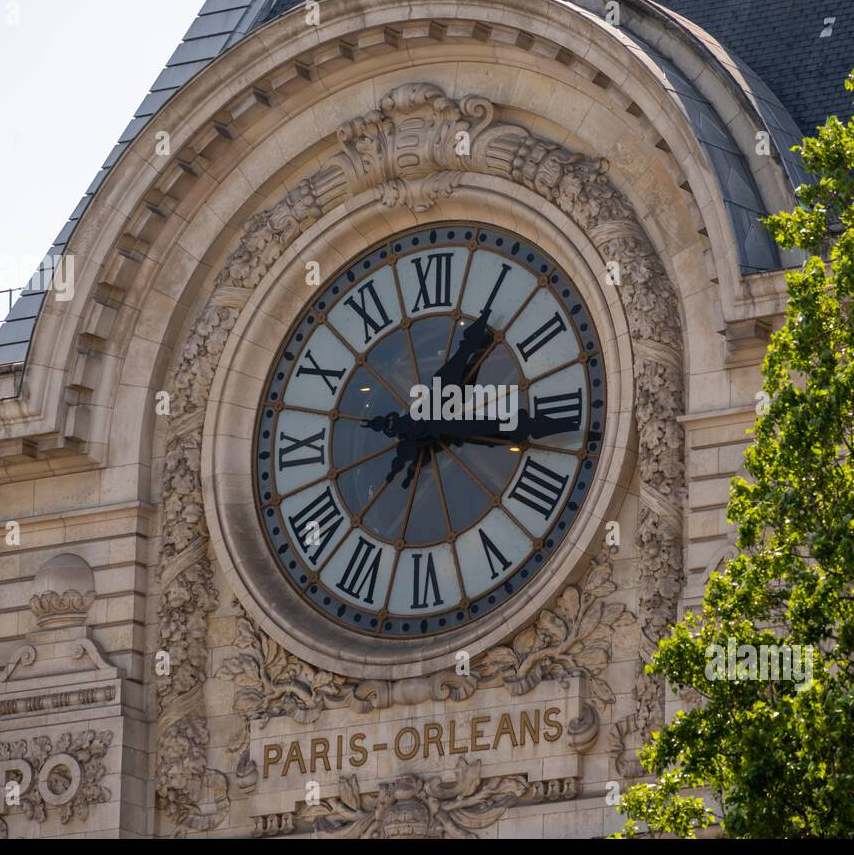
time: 1:16
